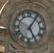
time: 5:05
